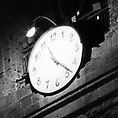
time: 11:23
